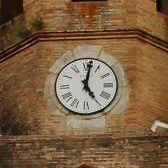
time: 5:01
